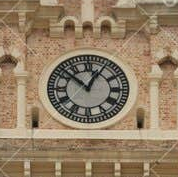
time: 12:52
